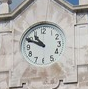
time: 10:49
